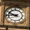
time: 9:43
